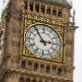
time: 2:54
